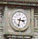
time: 3:32
